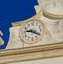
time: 9:20
